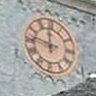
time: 11:46
